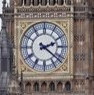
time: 2:21
